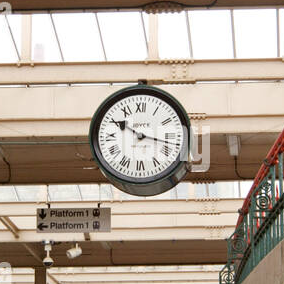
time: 10:17
